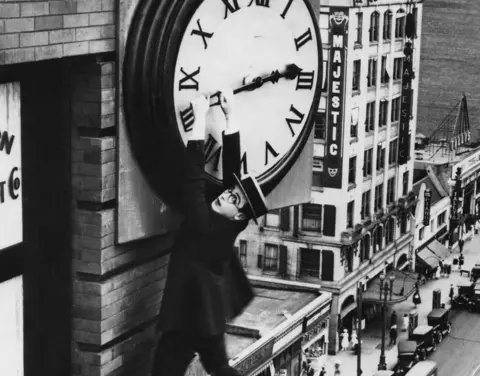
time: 2:13
